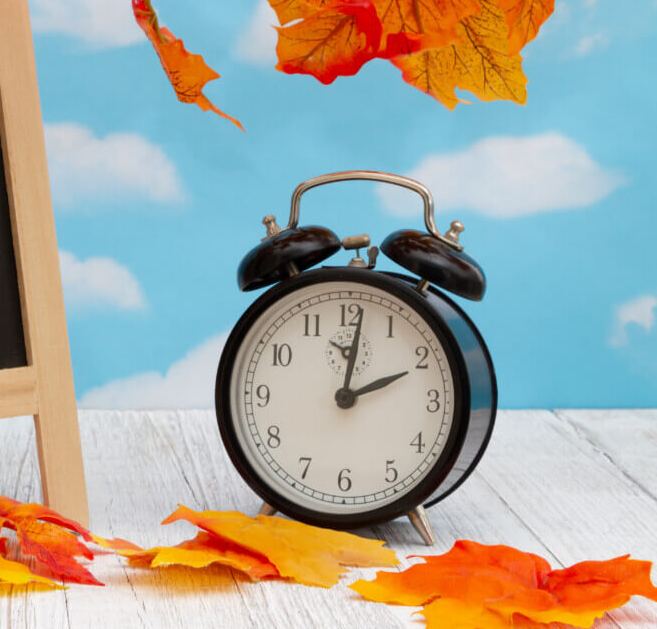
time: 2:01
